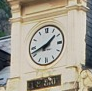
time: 1:42
